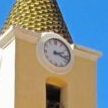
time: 2:17
